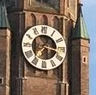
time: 3:36
